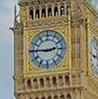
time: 2:45
